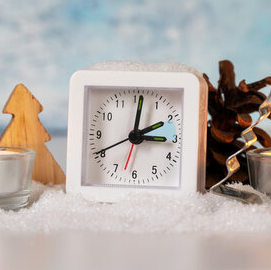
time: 3:01
